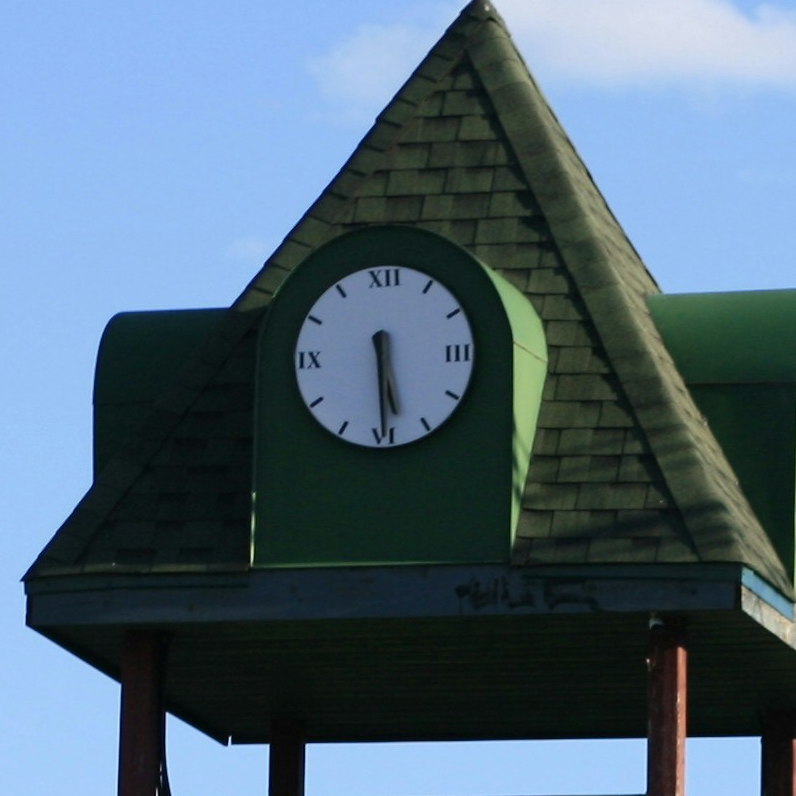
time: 5:29
